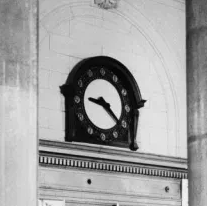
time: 9:21
